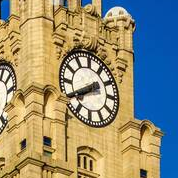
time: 7:39
